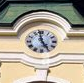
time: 4:58
